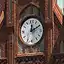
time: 12:10
